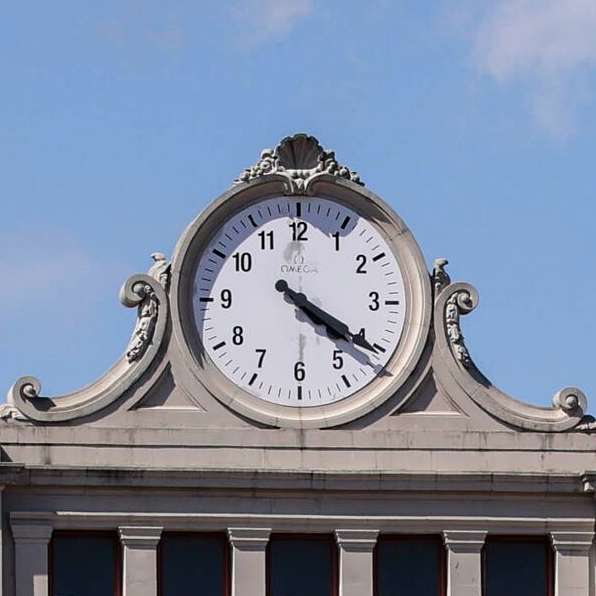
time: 4:20
